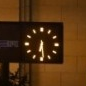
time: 6:29
